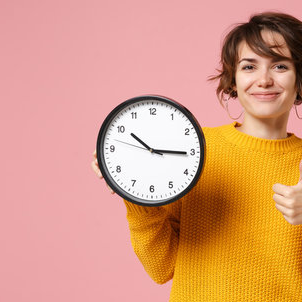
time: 10:15
